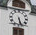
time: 5:26
